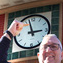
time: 2:57
